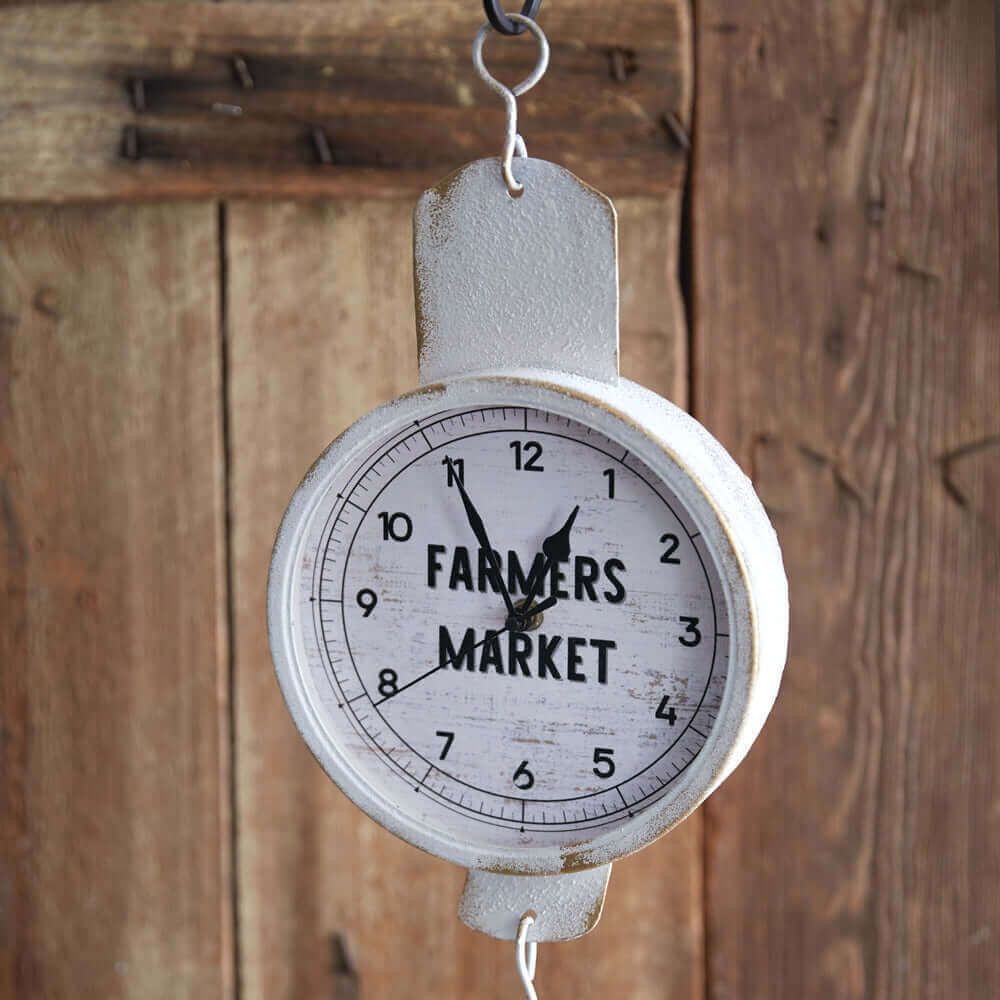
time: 12:55
